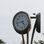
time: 4:42
